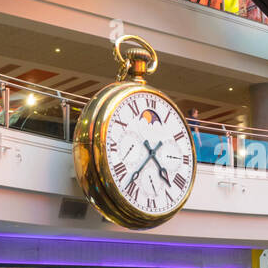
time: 4:36
